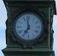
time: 6:58
